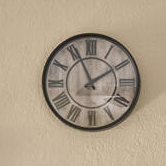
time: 1:56
